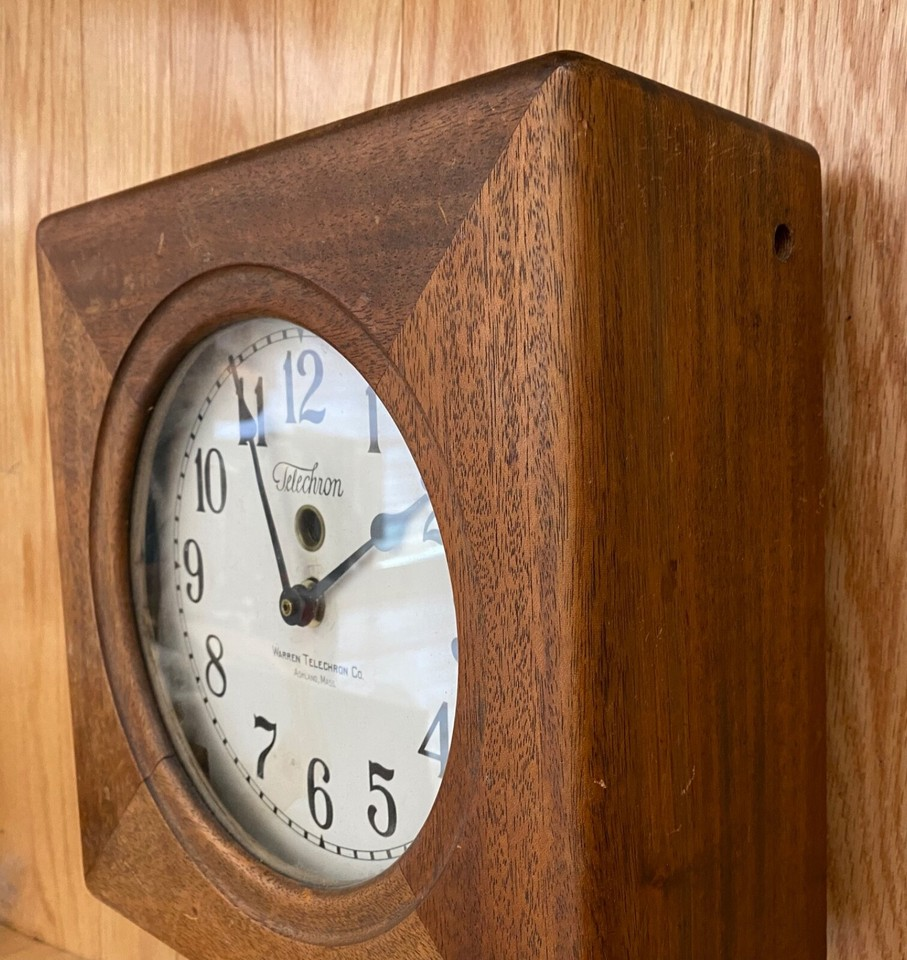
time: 1:56
